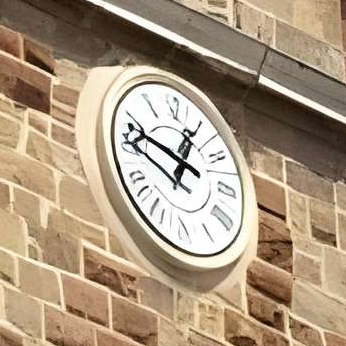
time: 12:47
